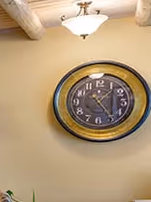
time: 1:24
